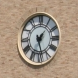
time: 1:28
